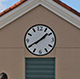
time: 1:40
